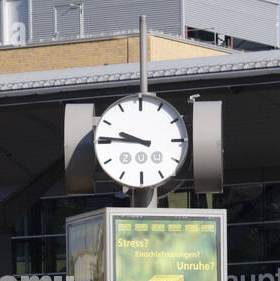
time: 9:45
